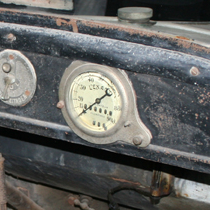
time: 1:38
